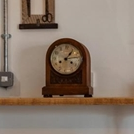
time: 1:13
